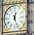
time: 12:26
